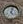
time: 5:03
